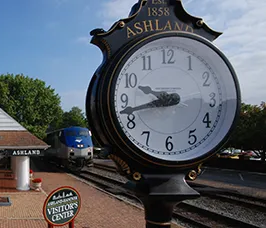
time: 9:42
